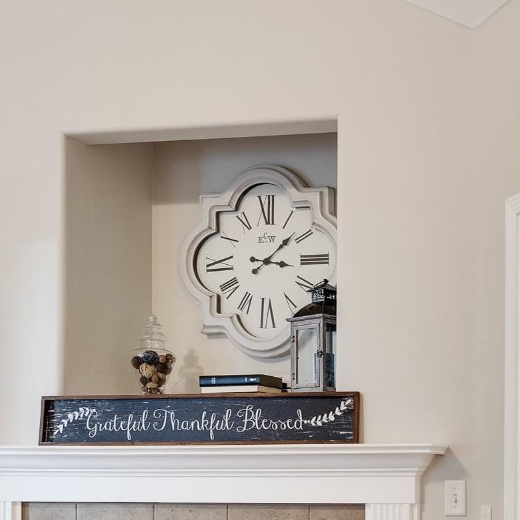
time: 3:08
